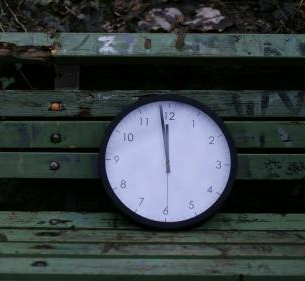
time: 11:58
